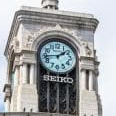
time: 1:43
